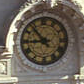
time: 8:53
